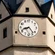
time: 8:23
